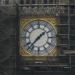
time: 1:37
